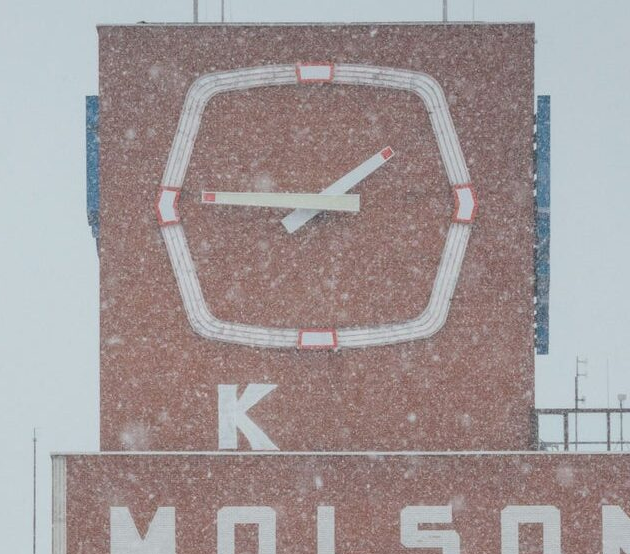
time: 1:46
